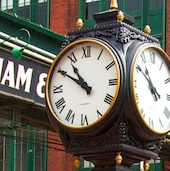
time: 10:50
